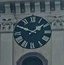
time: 1:49
